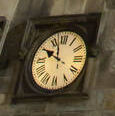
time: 9:57
